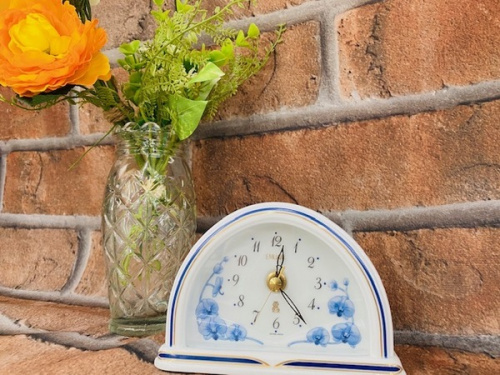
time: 12:24
